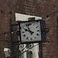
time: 9:54
